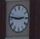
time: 2:46
